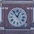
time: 12:53
